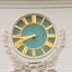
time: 8:40
